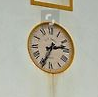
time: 2:34
